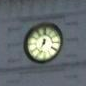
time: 12:34
